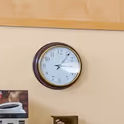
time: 1:14
